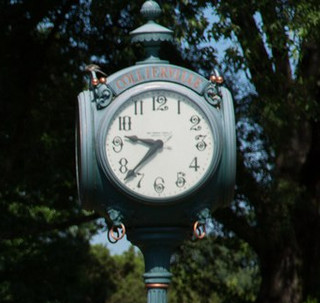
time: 9:37
